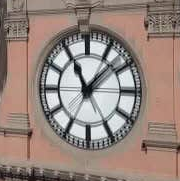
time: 11:07
